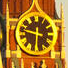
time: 9:30
